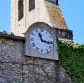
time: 11:16
